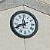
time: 11:40
